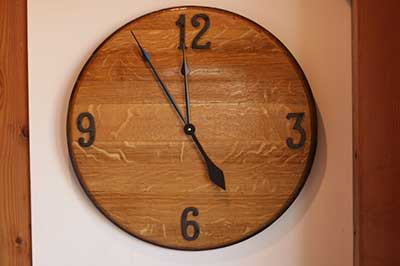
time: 4:54
